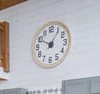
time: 10:05
